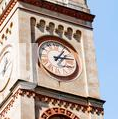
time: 1:13
